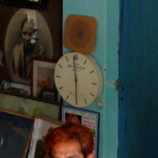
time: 5:59
